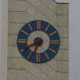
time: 6:40
